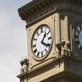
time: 1:20
